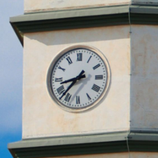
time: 8:37
